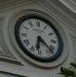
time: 6:22
